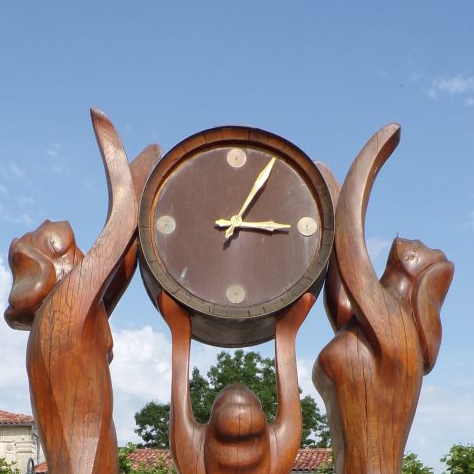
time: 3:04
